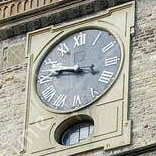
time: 9:46
